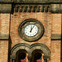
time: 12:05
